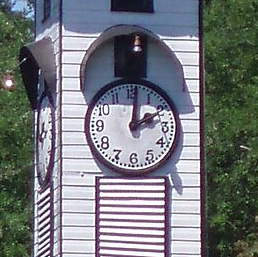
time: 2:01
